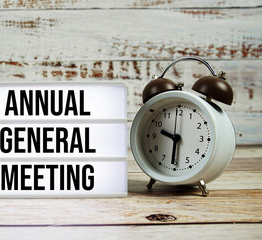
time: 9:30
